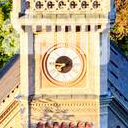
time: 7:45
